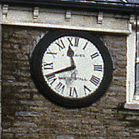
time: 11:41
